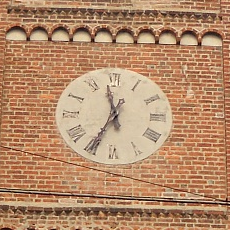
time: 11:34
